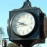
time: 8:48
